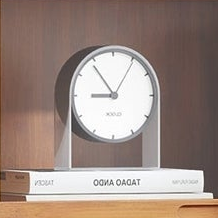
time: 8:54
